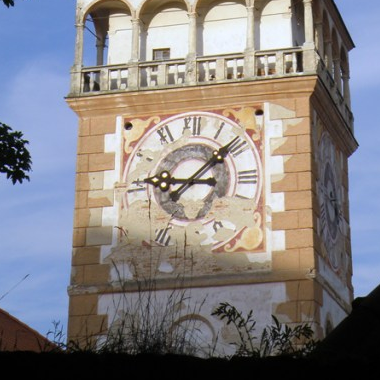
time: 9:08
